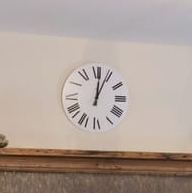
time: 12:04
